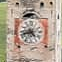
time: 4:42
